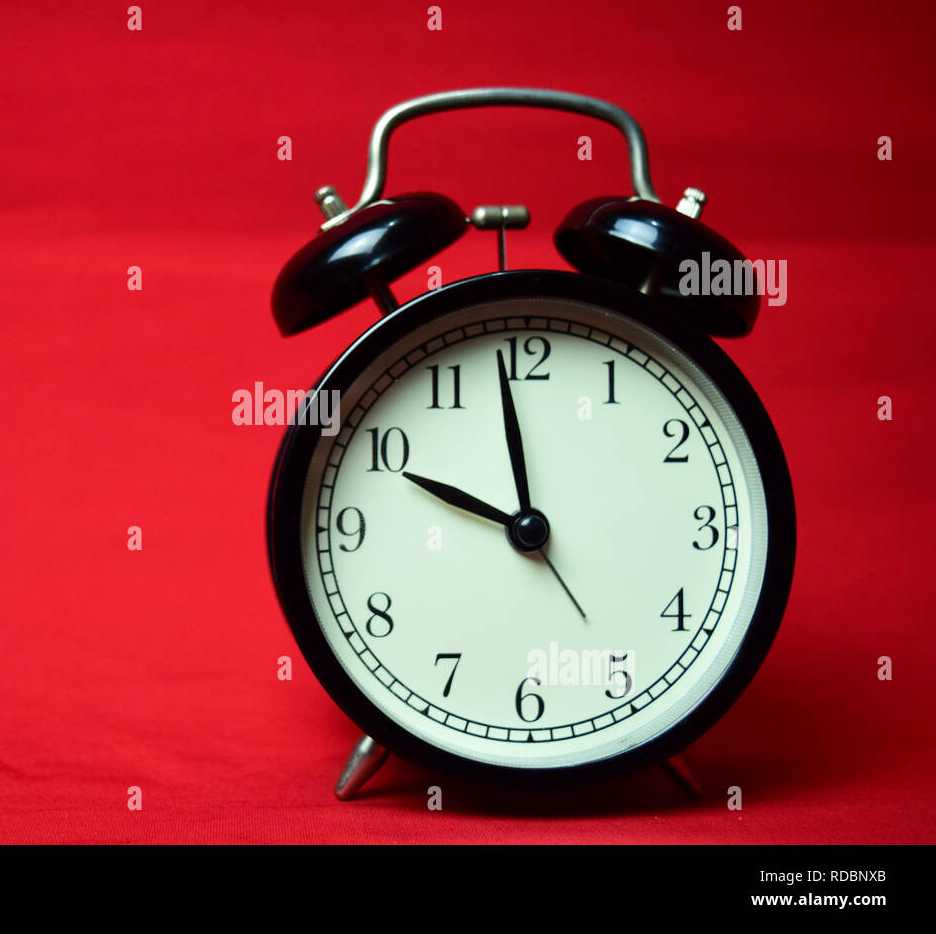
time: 9:58
